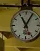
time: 11:05
